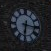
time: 6:15
